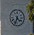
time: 4:33
